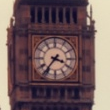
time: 3:36
